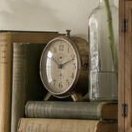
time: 10:11
